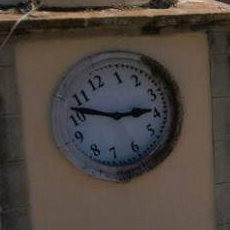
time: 3:51
